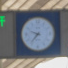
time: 9:36
